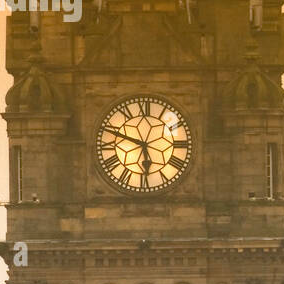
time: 5:48
